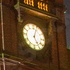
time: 5:03
